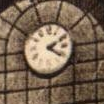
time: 2:21
